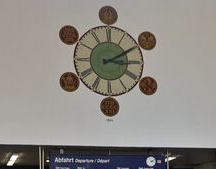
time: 3:09
